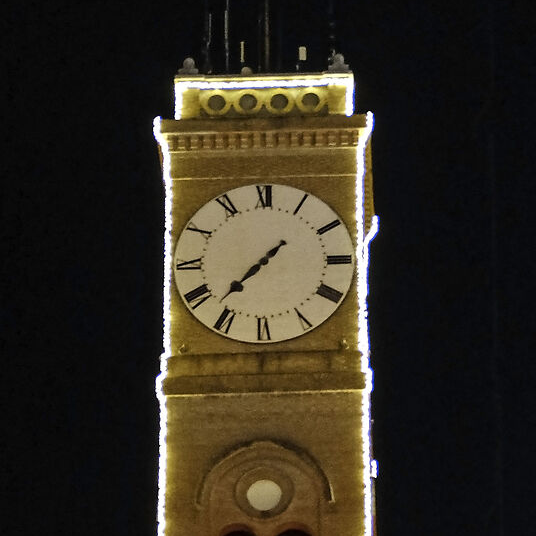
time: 7:37
